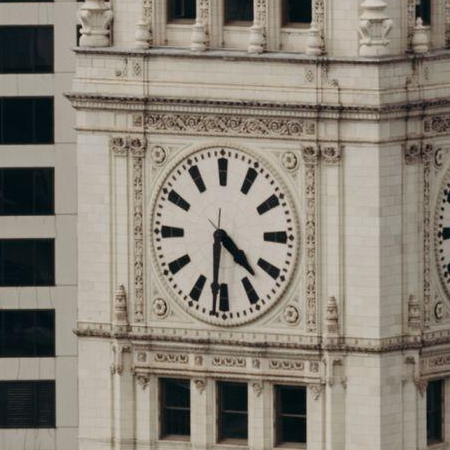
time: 4:31
